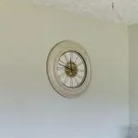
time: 11:47
